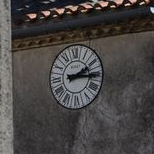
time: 2:15
